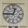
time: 12:45
